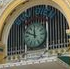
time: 11:48
